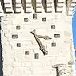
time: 3:26
